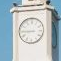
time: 8:45
